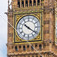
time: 10:20
